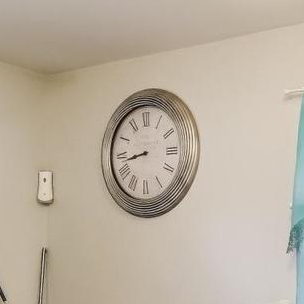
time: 8:42
